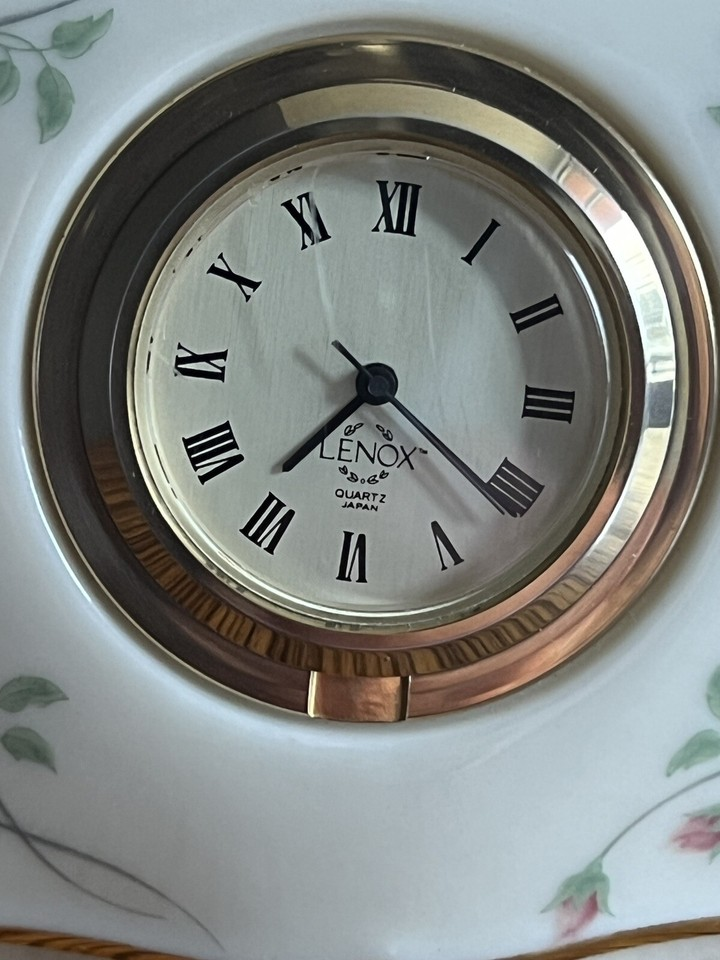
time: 7:20
